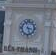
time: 3:27
